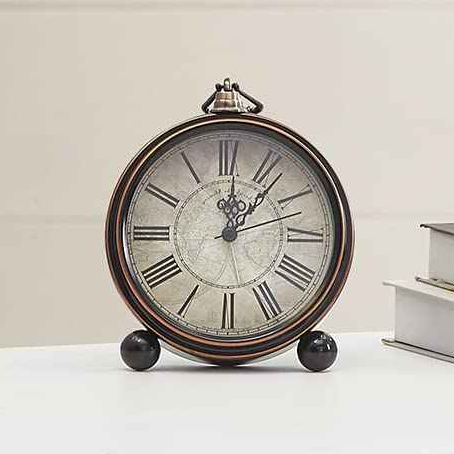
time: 12:06
